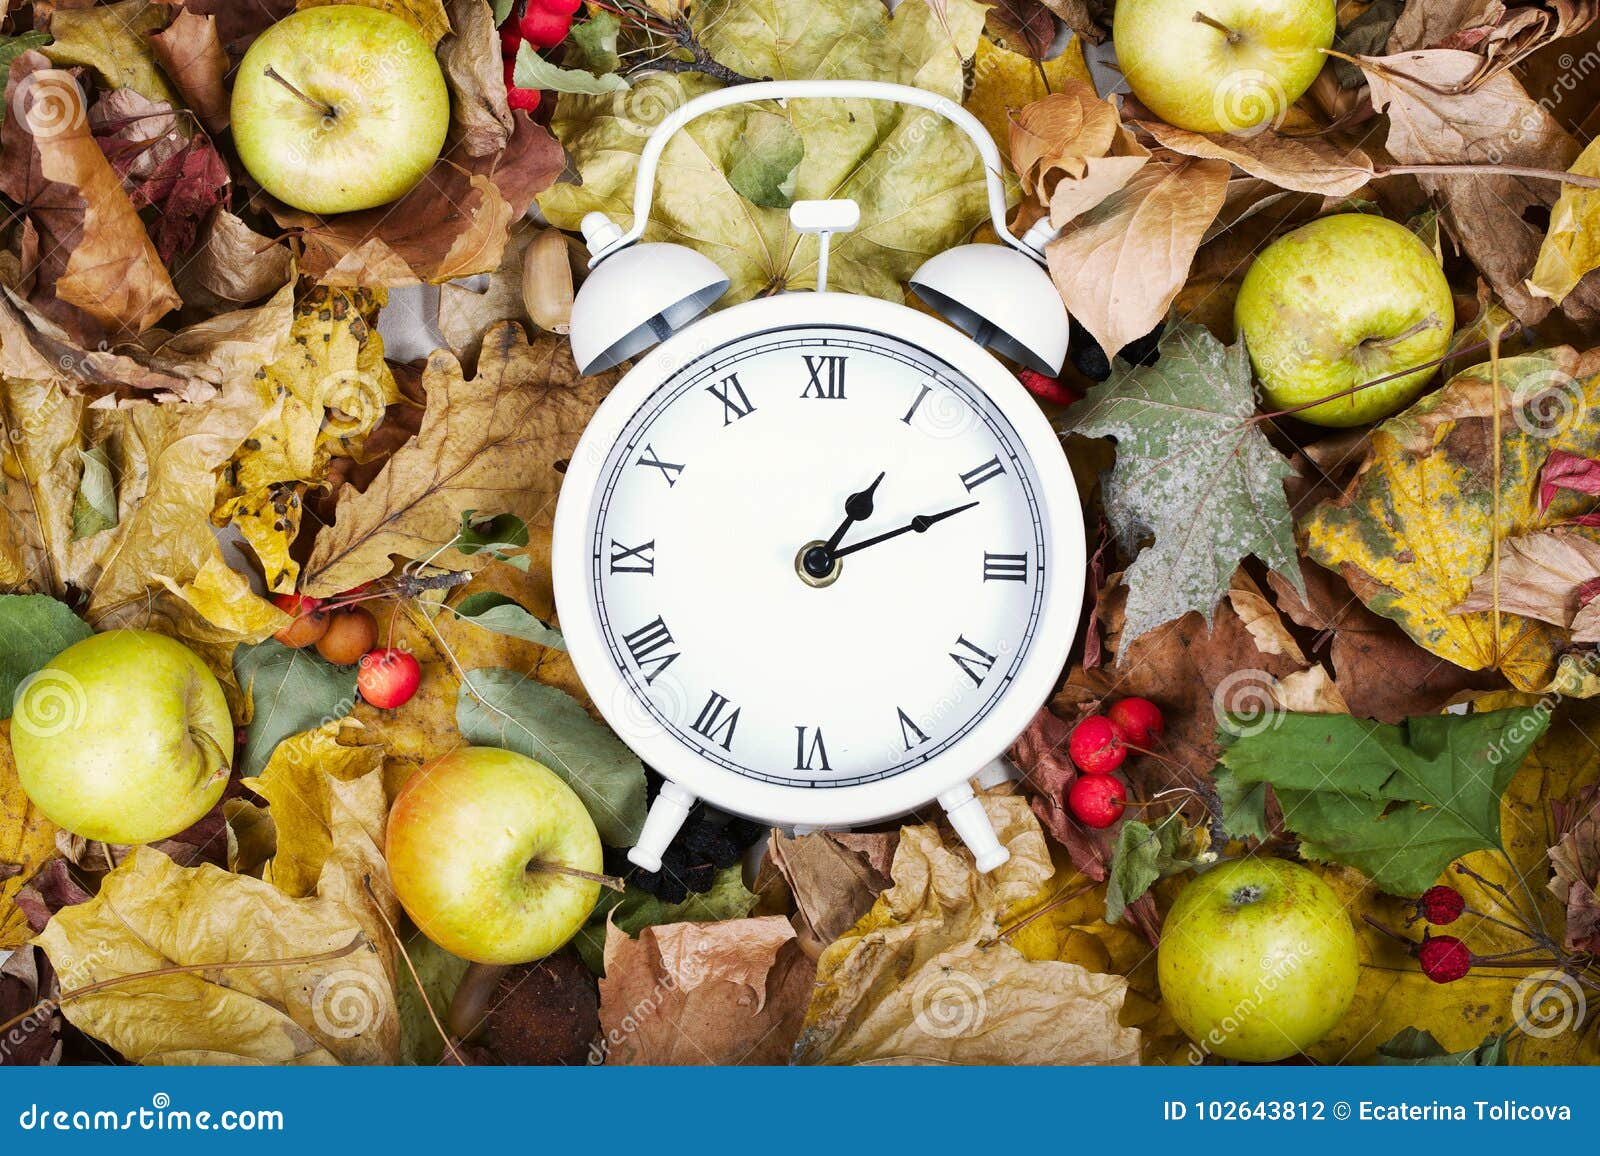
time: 1:11
